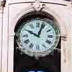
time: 10:03
